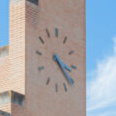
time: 3:22
